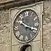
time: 10:17
